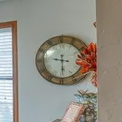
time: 9:29
